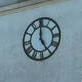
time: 4:59
